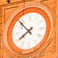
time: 7:52
